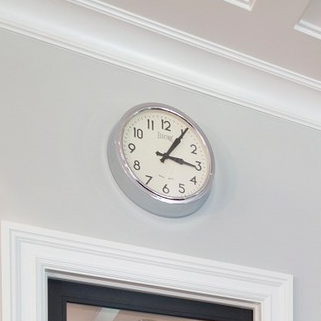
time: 3:05
